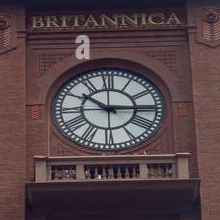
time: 10:14
